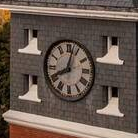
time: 8:02
